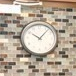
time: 10:07
